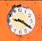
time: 9:20
